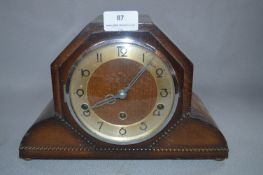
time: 8:06
